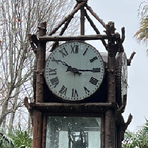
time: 10:15
